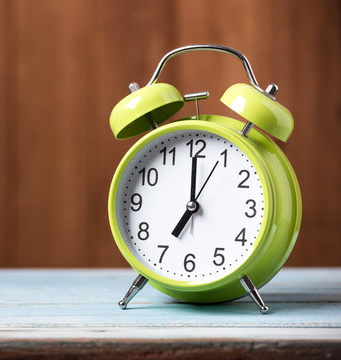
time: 6:59
